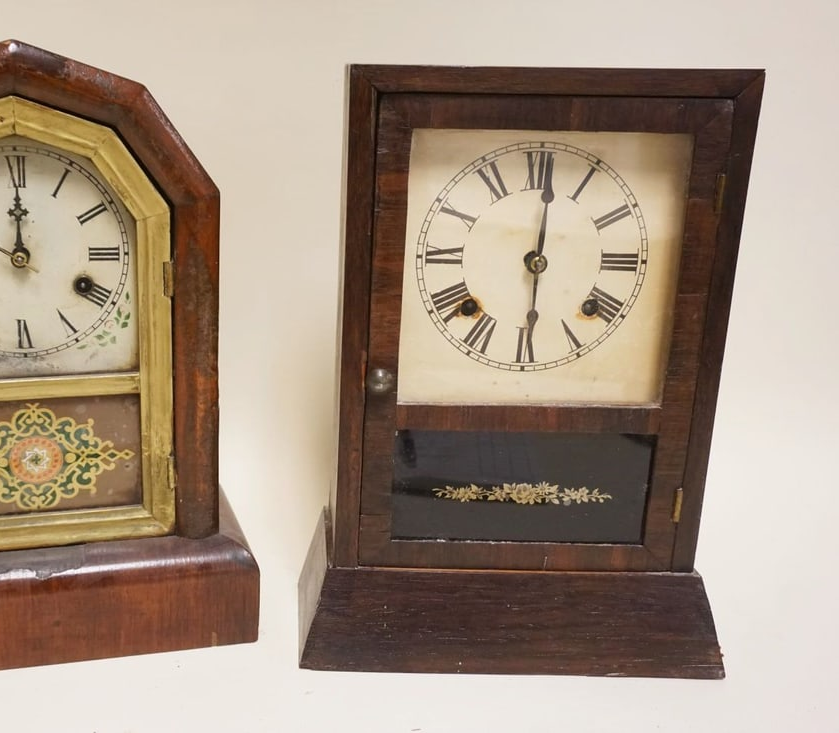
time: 6:00
